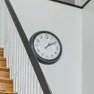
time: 1:09
